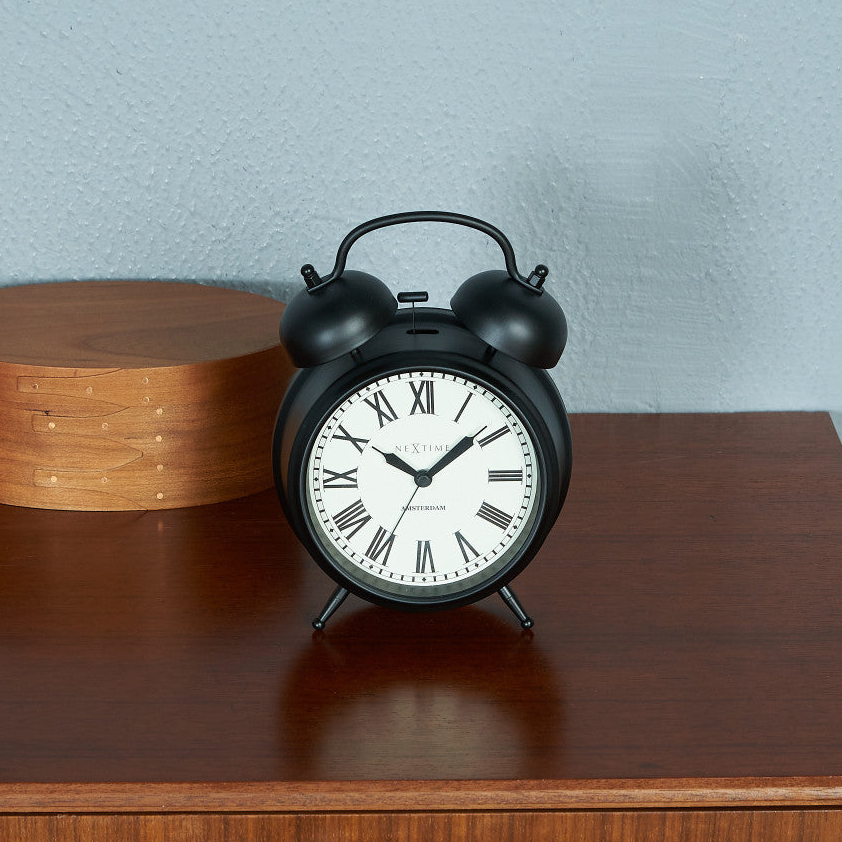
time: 1:50
